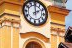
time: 1:59
